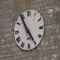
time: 4:54
